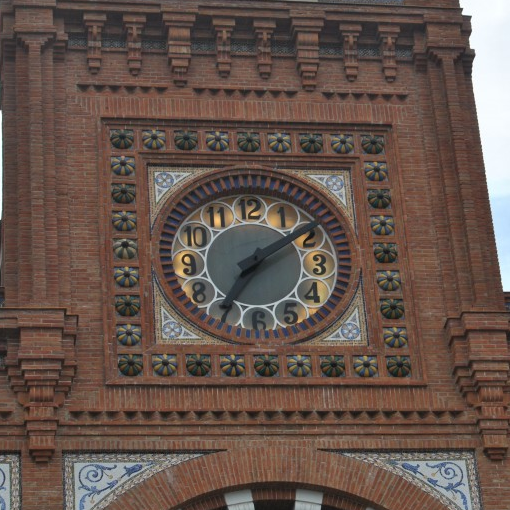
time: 7:09
